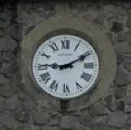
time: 9:10
